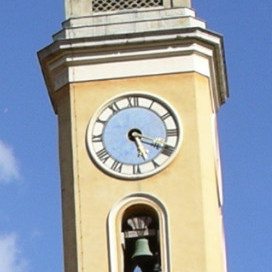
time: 5:19
